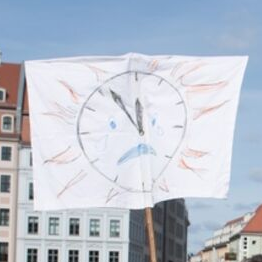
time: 11:54
